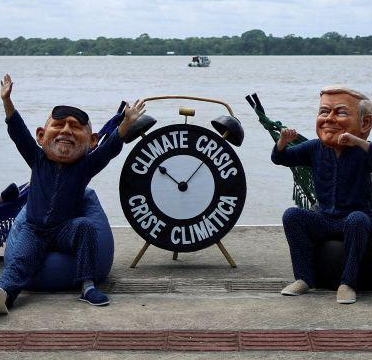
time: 10:07
